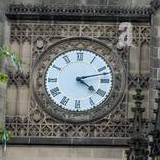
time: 4:12
